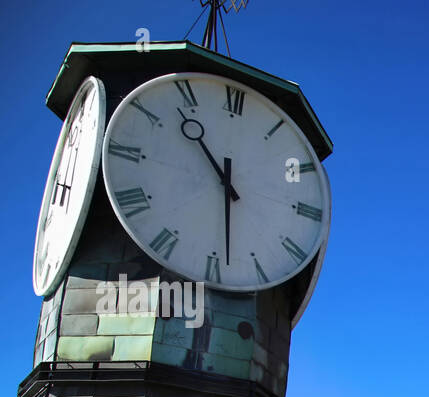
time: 10:28
